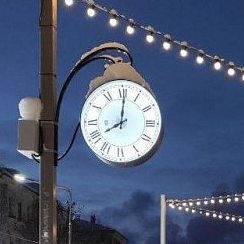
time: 8:00
